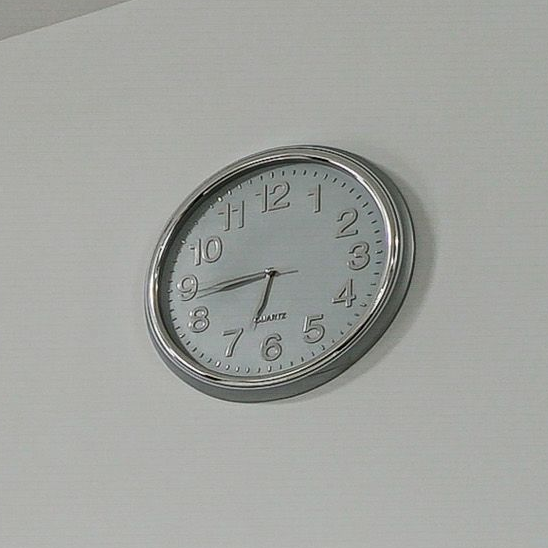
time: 6:43
